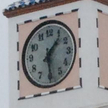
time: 1:29
